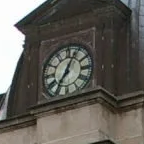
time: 7:04
